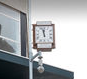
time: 11:57
